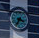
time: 3:34
